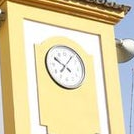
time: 10:06
